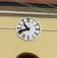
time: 10:41
